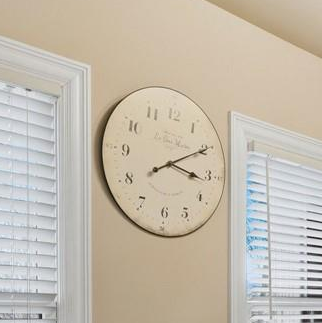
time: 3:09
